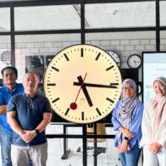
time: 5:15
